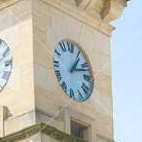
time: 1:12
